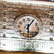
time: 6:05
